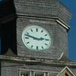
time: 2:47
